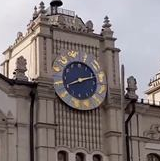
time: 8:12
